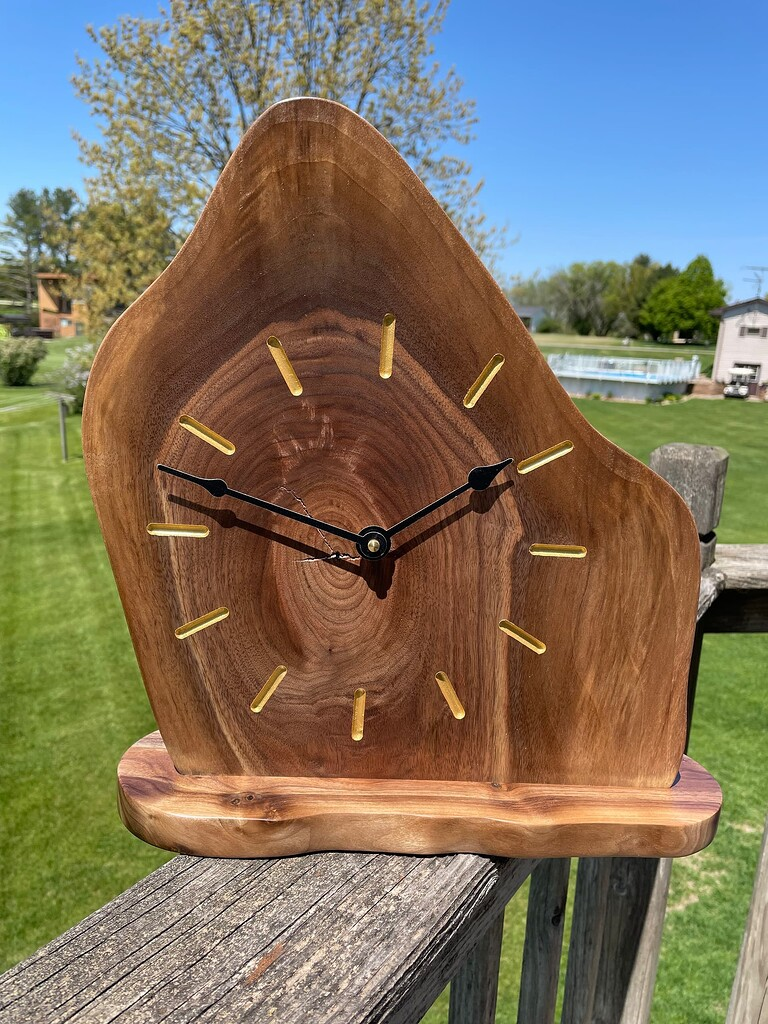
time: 1:46
